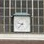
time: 9:37
